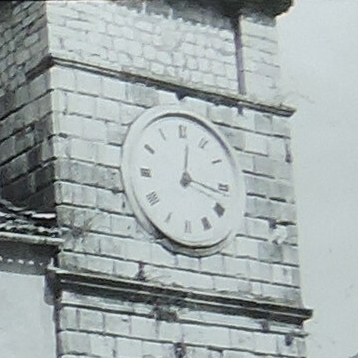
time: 12:16
